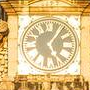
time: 5:05
